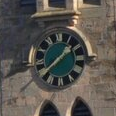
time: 1:38
